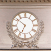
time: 6:51
